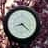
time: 8:21
